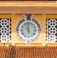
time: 10:59
